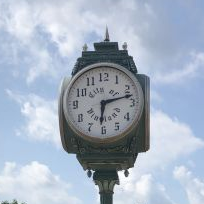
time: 6:12
